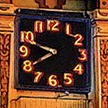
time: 7:48
